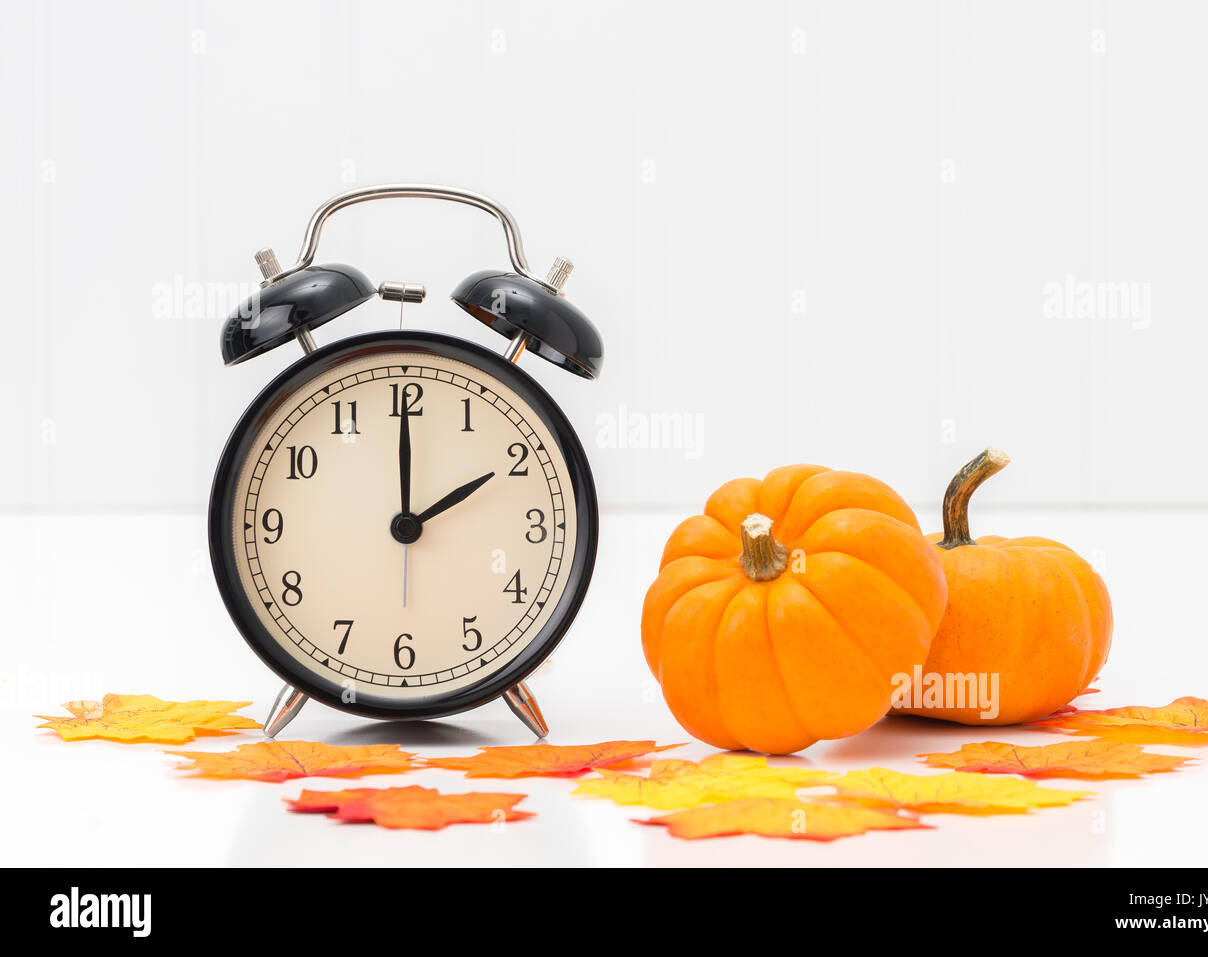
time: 2:00
